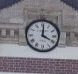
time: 4:00
